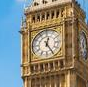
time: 12:24
